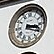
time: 3:18
